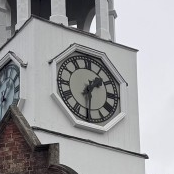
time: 1:30
